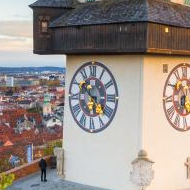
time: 5:51
